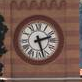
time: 2:27
